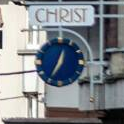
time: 12:34
